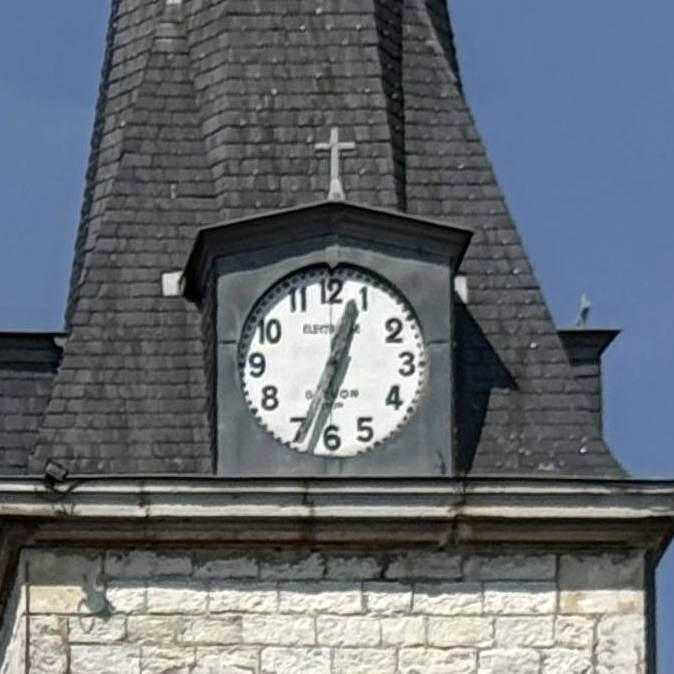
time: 12:33
